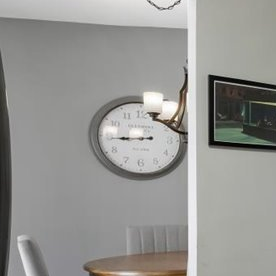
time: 8:44
